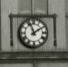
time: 1:56
